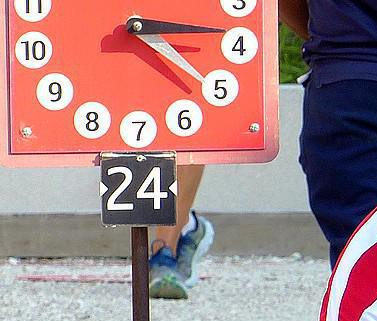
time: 3:20
